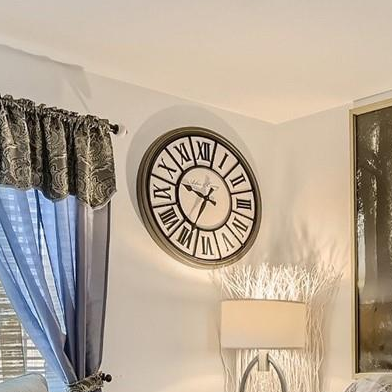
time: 9:34
